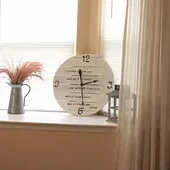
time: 2:29
